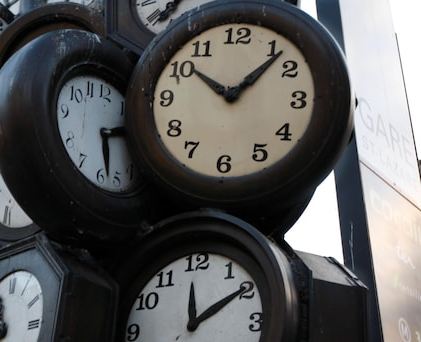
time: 10:07
